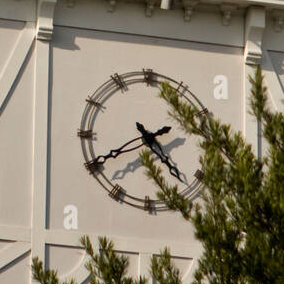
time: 4:40
